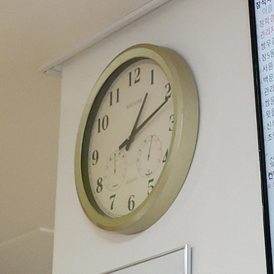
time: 1:11
